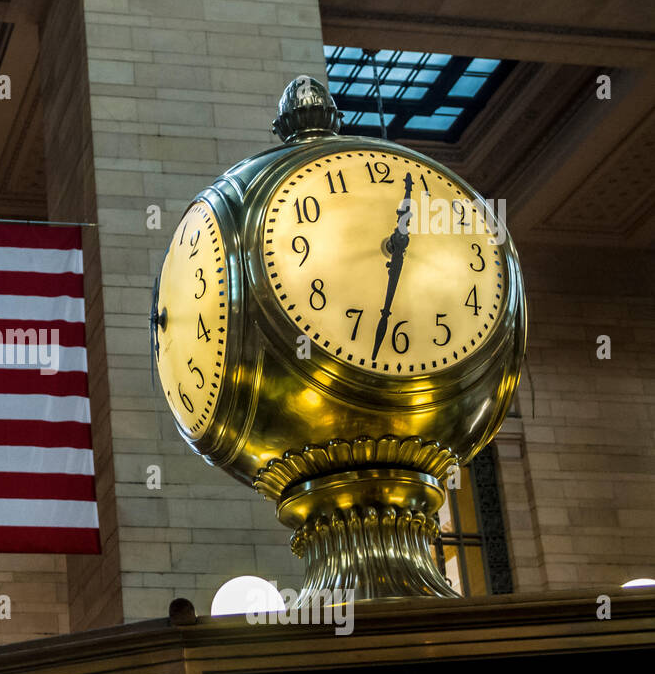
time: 12:32
